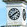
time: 1:38
